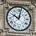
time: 10:02
